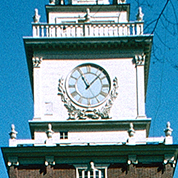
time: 11:06
